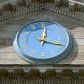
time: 12:18
